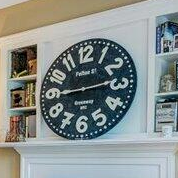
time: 2:44
